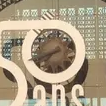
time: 7:41
